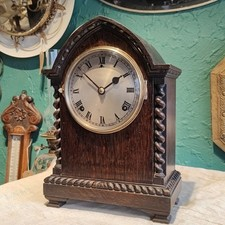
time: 1:51
